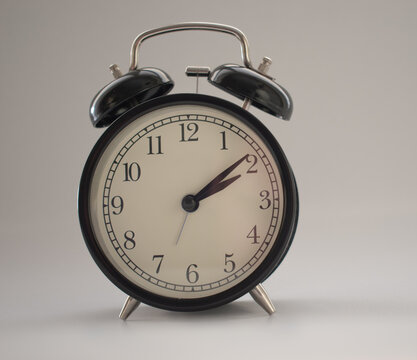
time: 2:09
